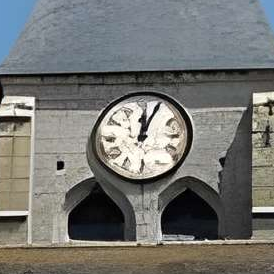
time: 12:04
